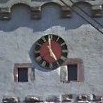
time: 4:59
